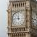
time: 11:46
